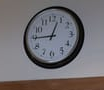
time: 12:44
